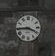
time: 3:44
